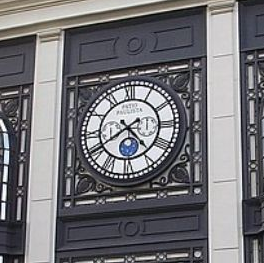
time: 4:40
